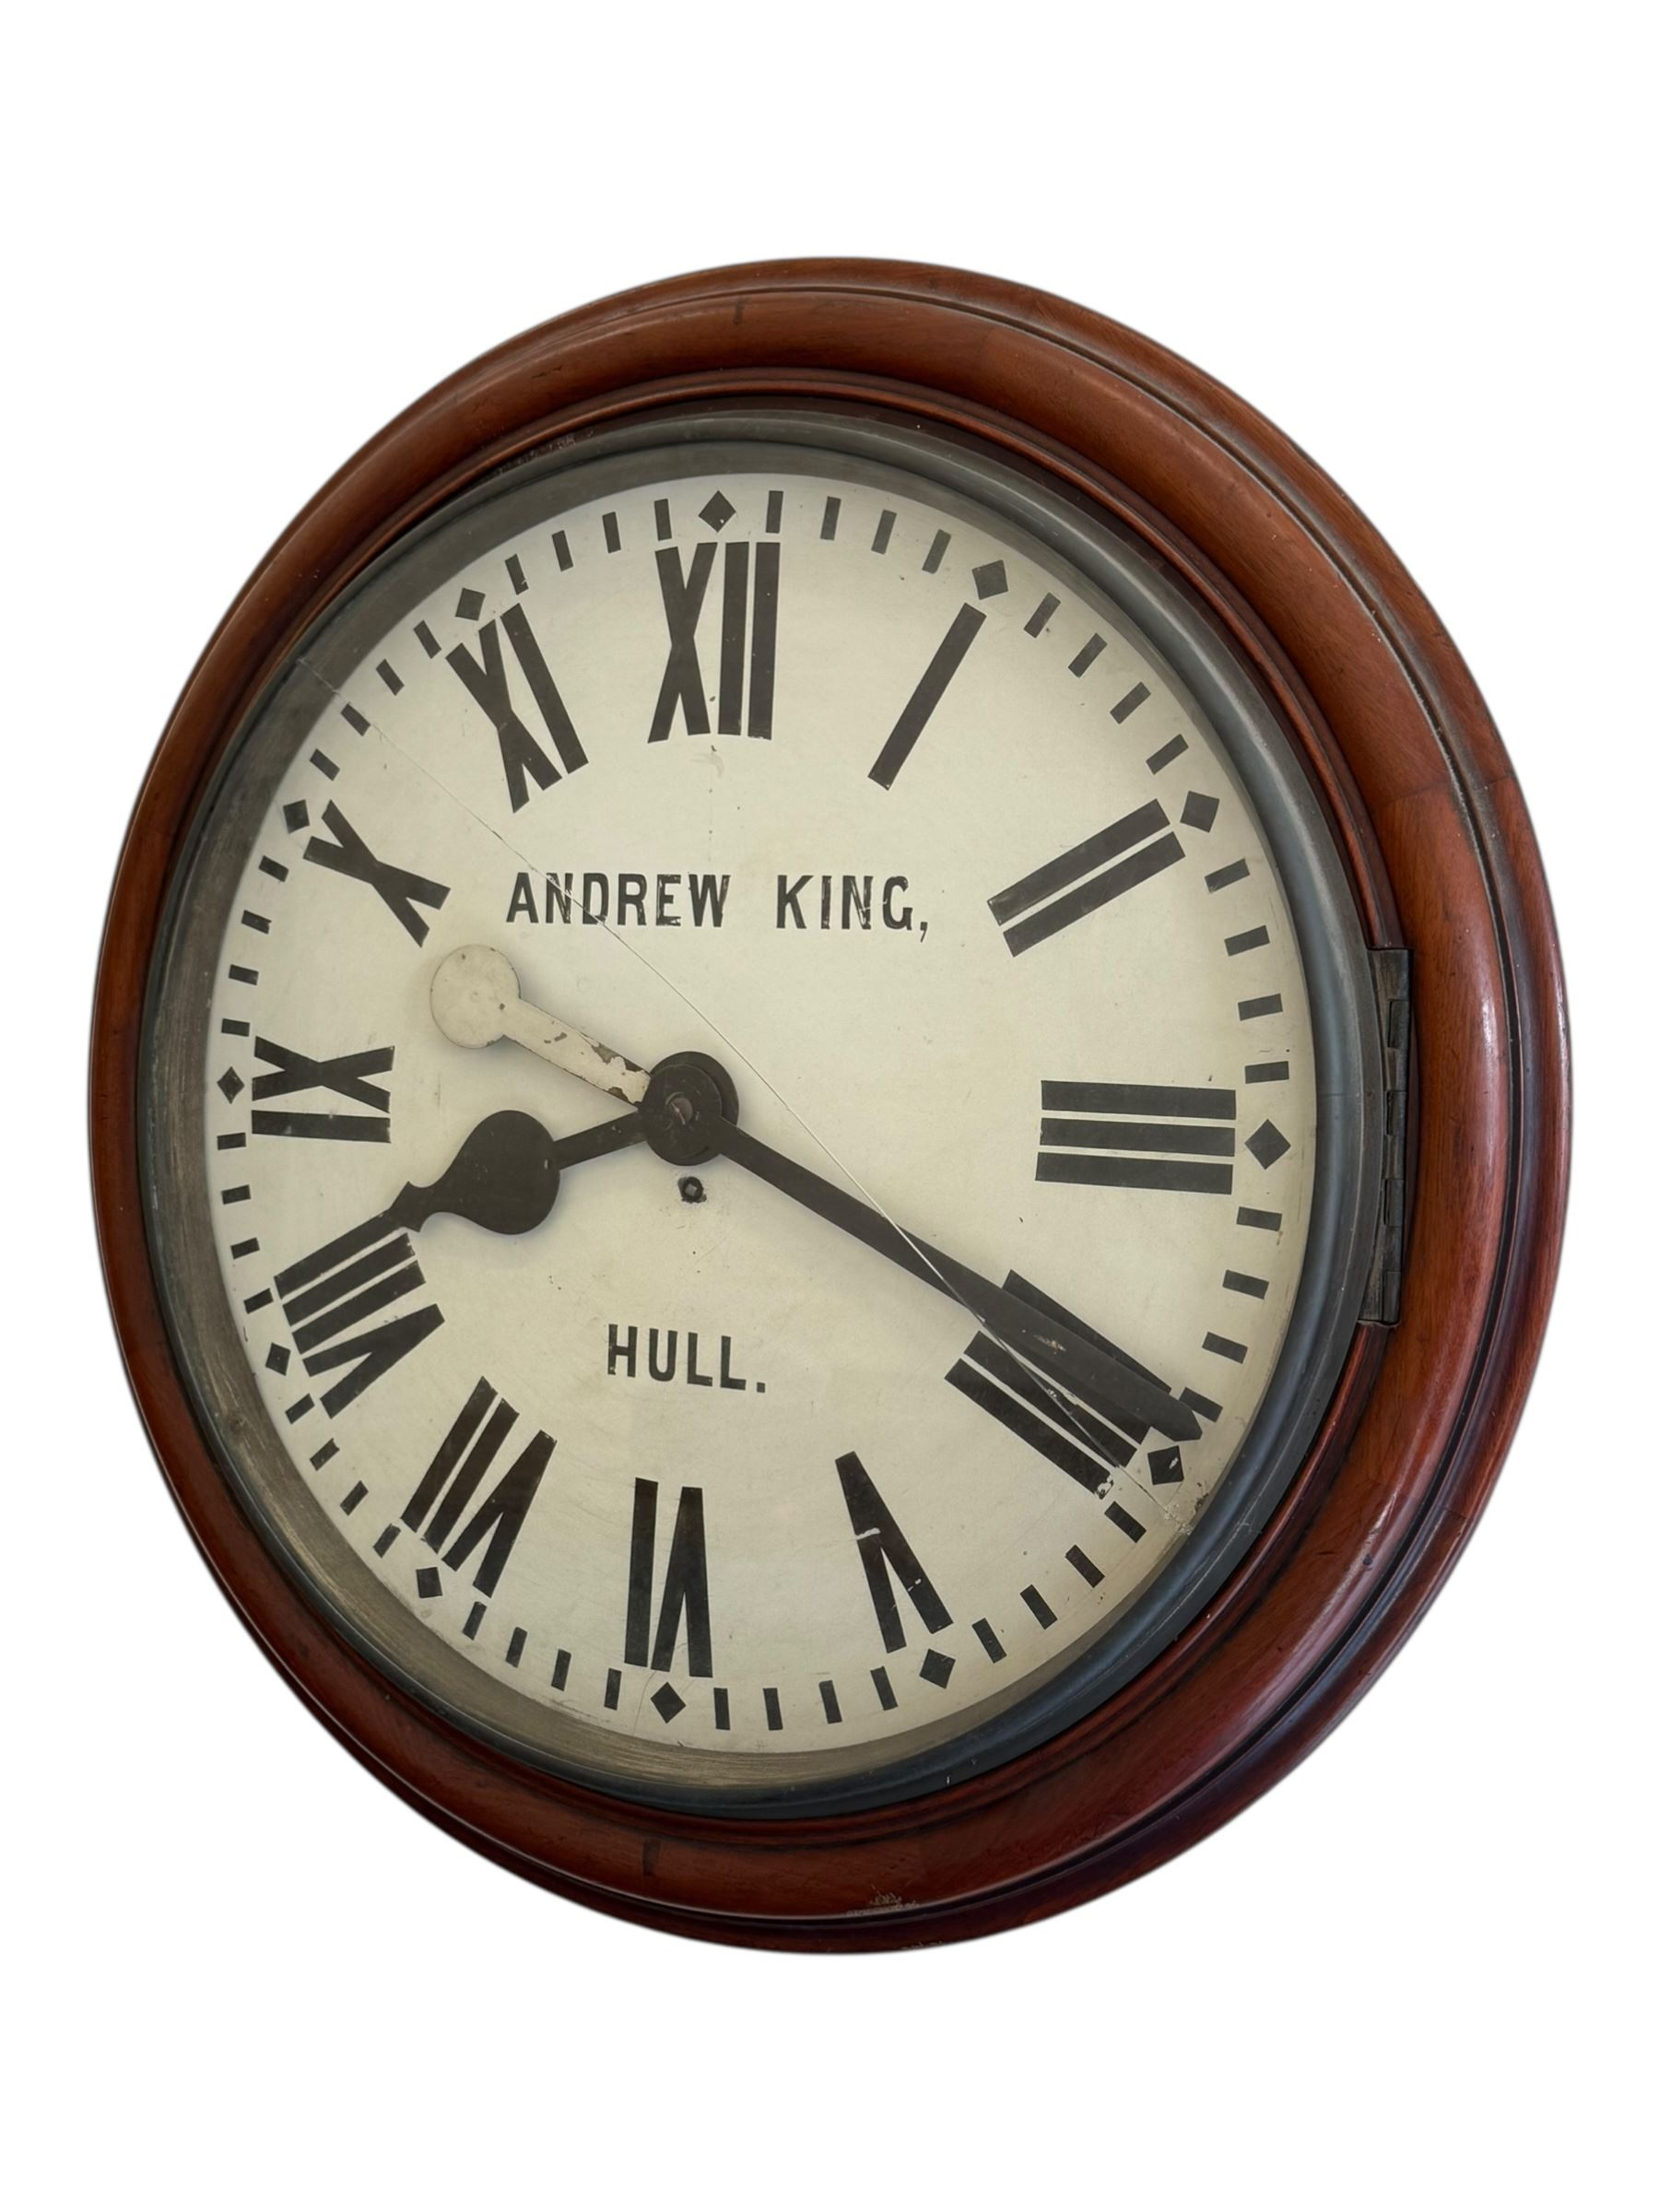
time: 8:18
